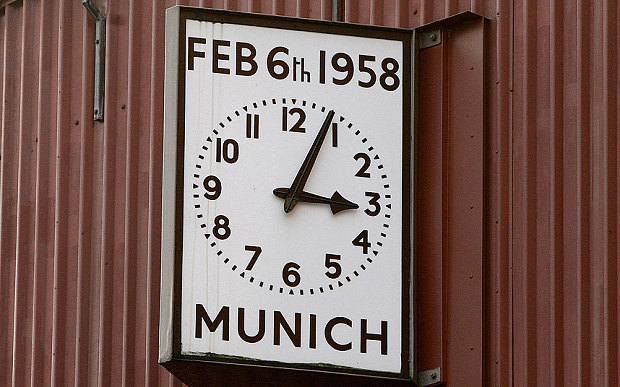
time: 3:04
